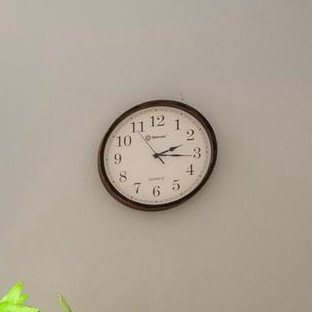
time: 2:15
